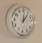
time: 12:06
